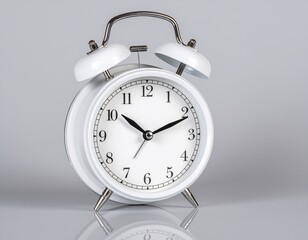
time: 10:11
